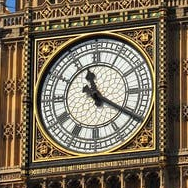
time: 11:20
